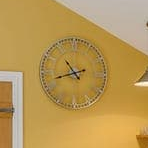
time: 10:42
